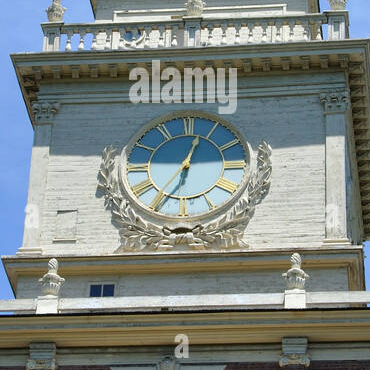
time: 12:34
